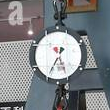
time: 5:35
